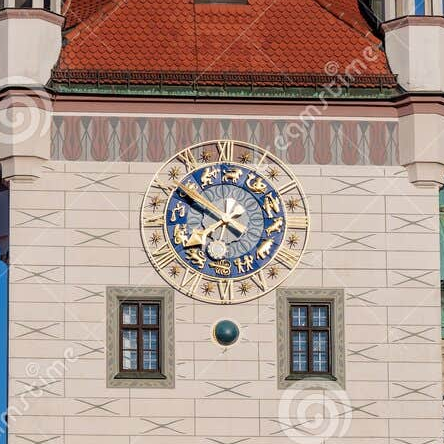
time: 9:50
